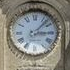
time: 3:07
